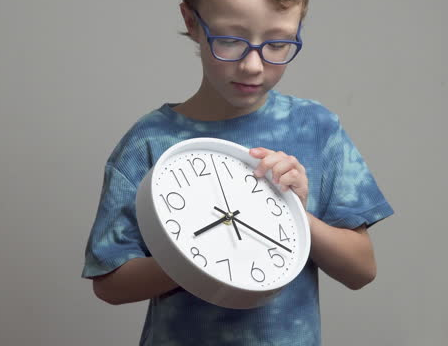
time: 8:22
